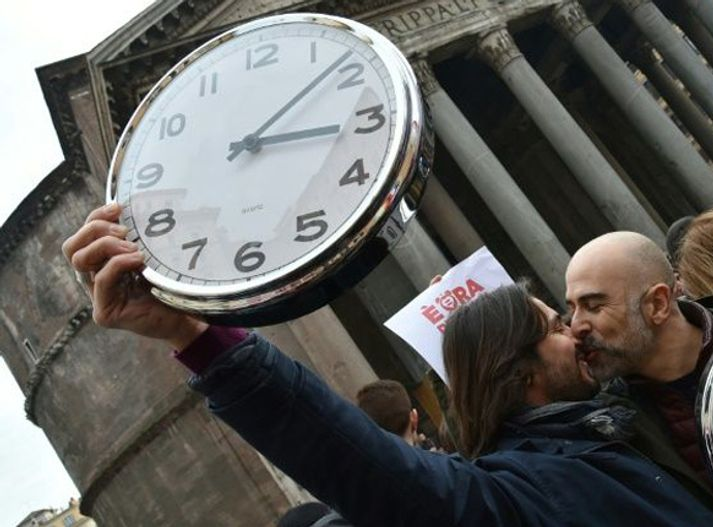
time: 3:08
